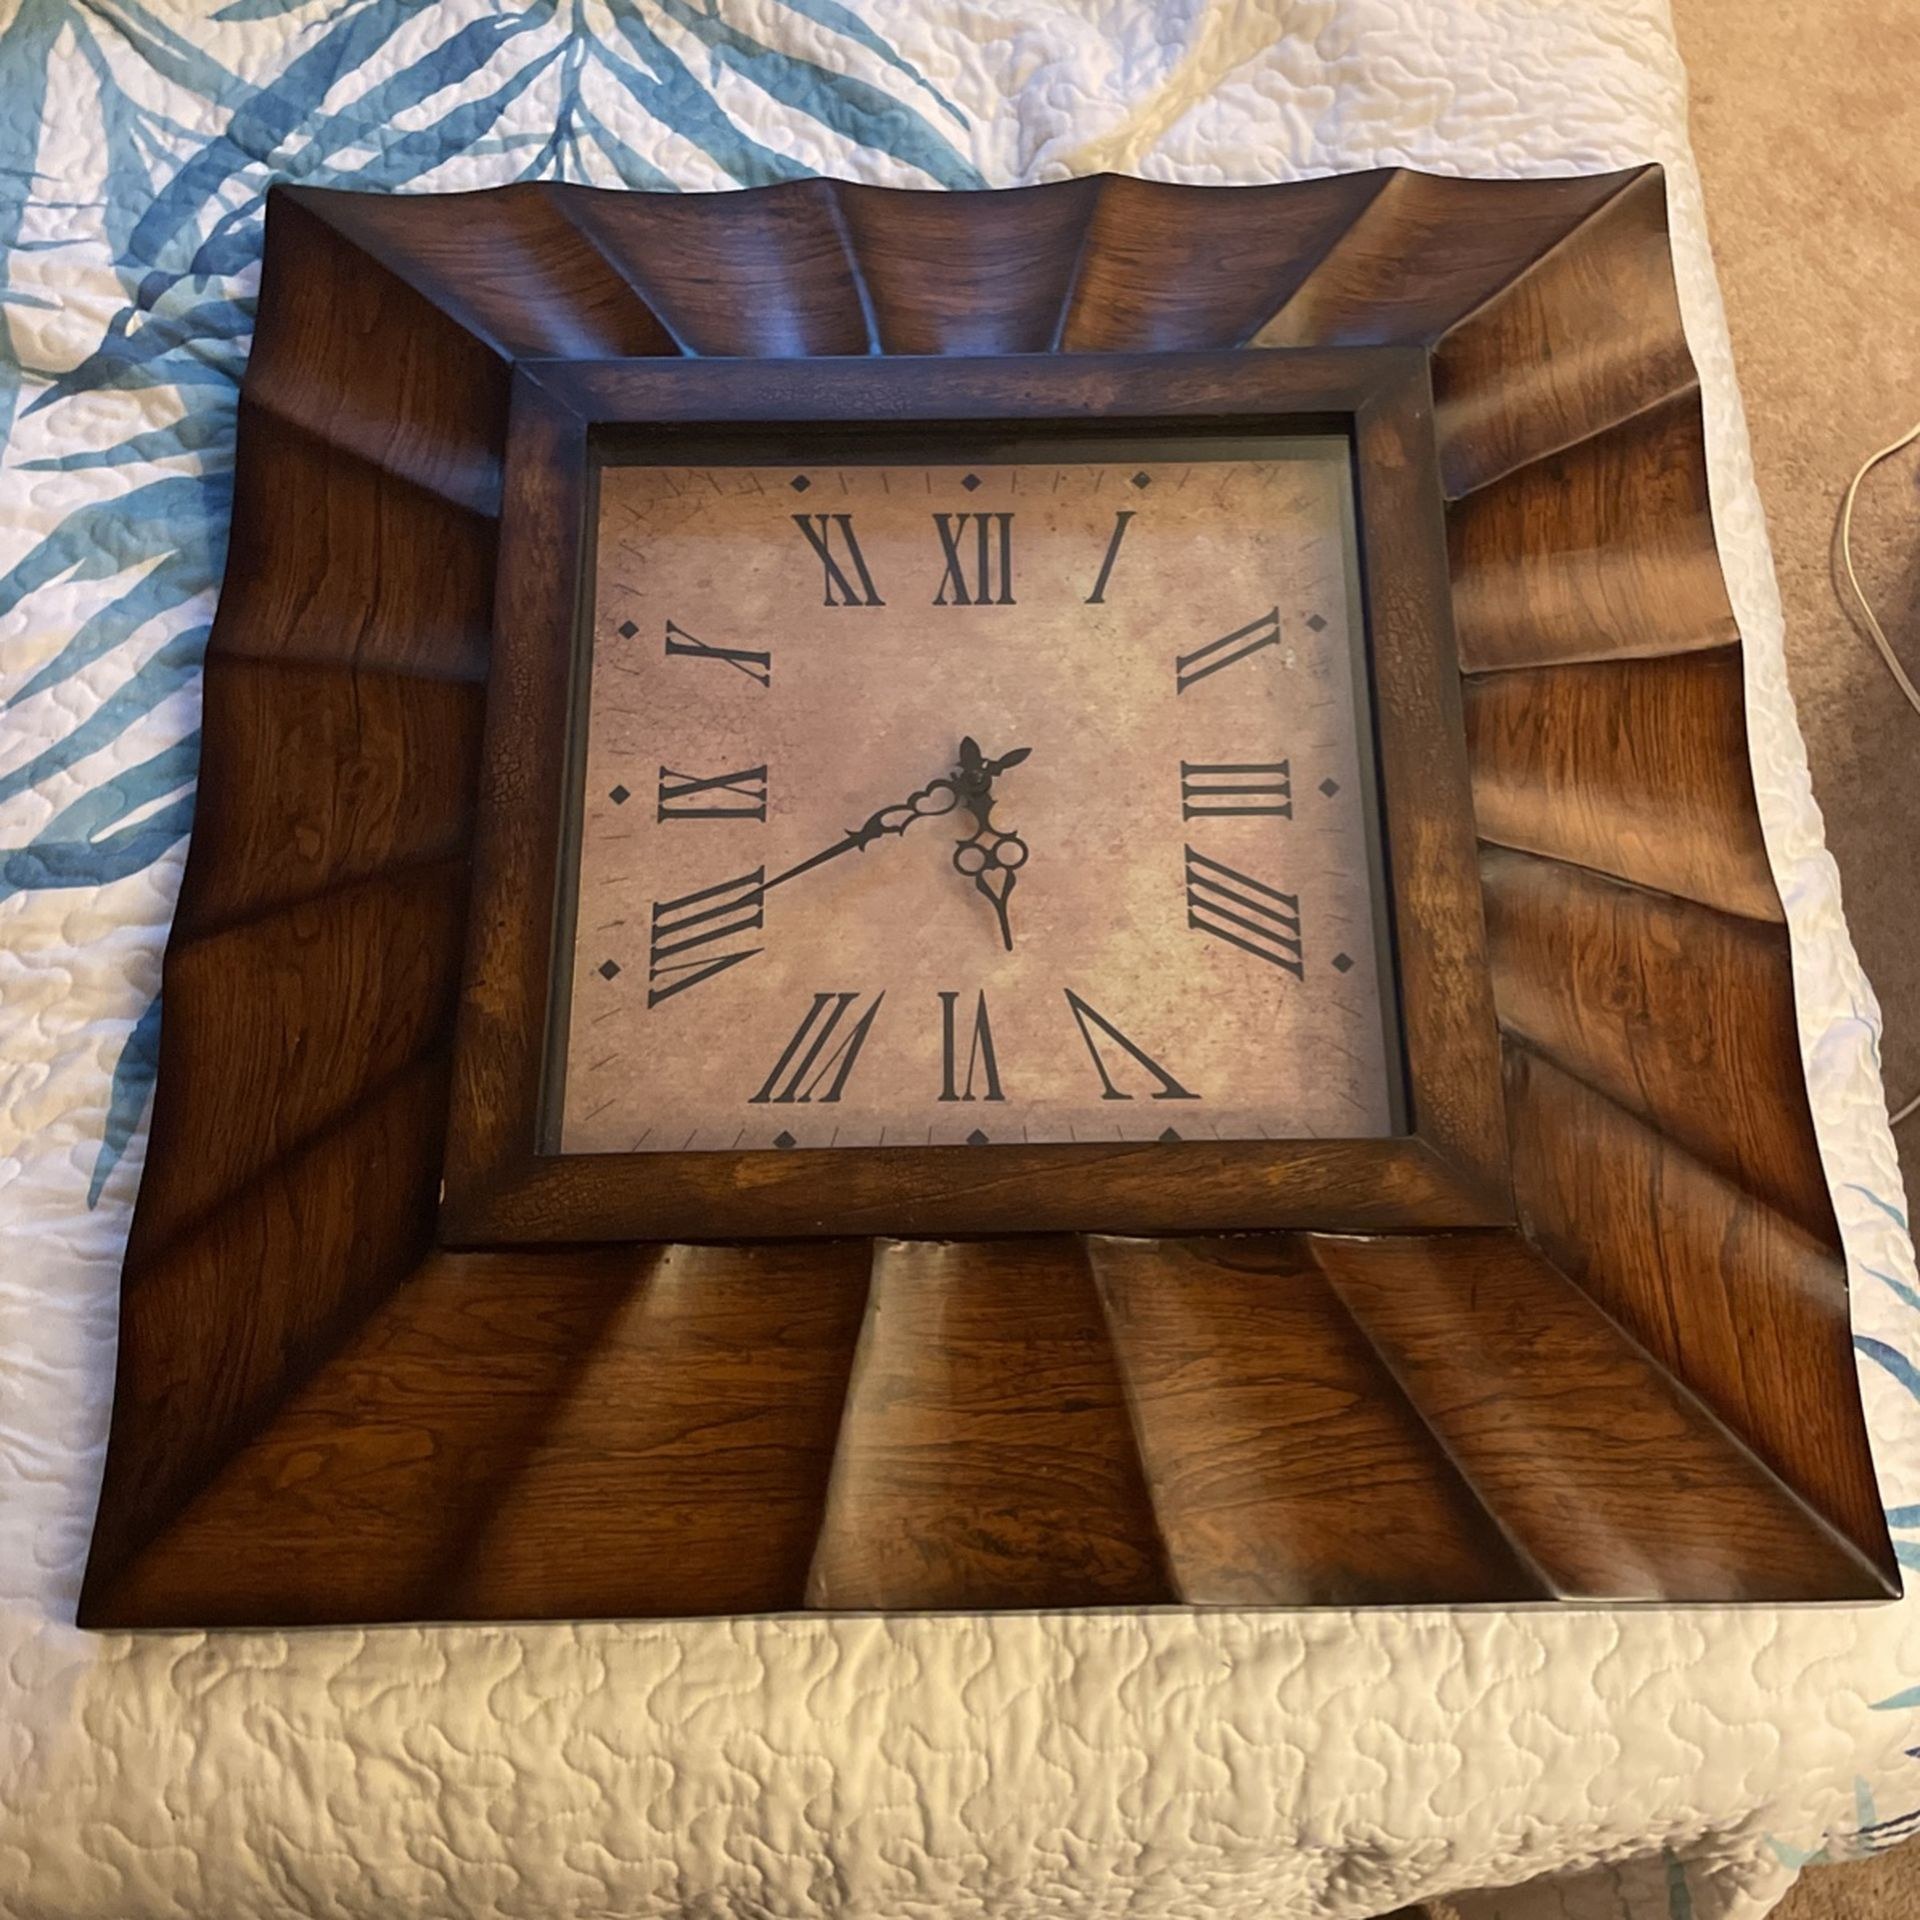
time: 5:40
